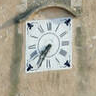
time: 7:35
